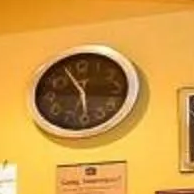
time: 5:55
